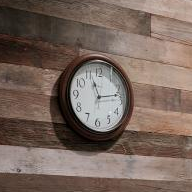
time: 11:13
